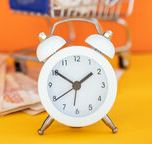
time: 1:50
